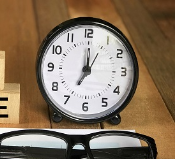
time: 7:00
